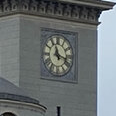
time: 11:17
